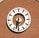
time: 6:32
